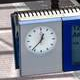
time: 12:37
